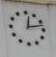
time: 12:12
